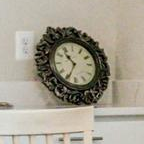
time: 10:34
